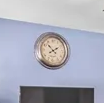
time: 1:52
